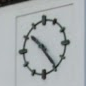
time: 10:24
